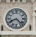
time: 8:22
